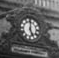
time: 5:00
